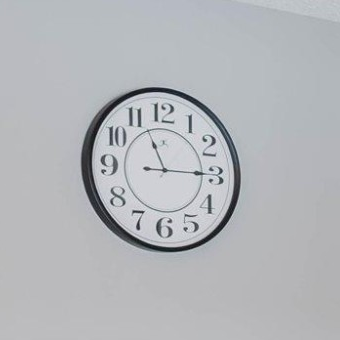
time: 11:14
